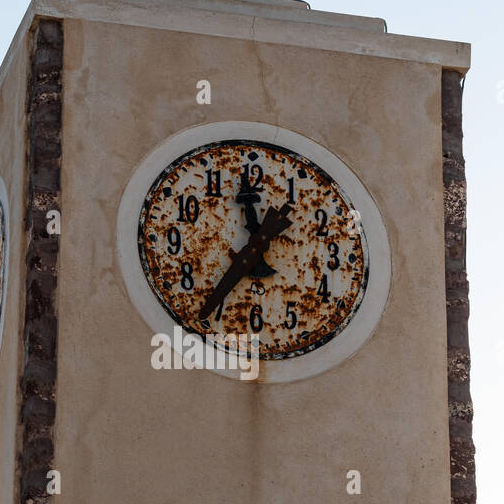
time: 11:35
